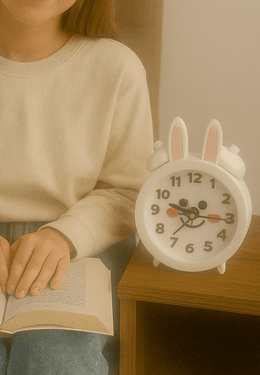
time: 9:15
